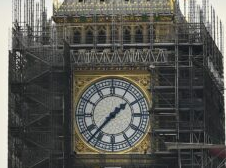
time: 1:37
